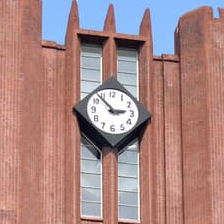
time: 2:53
